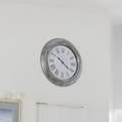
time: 10:20
